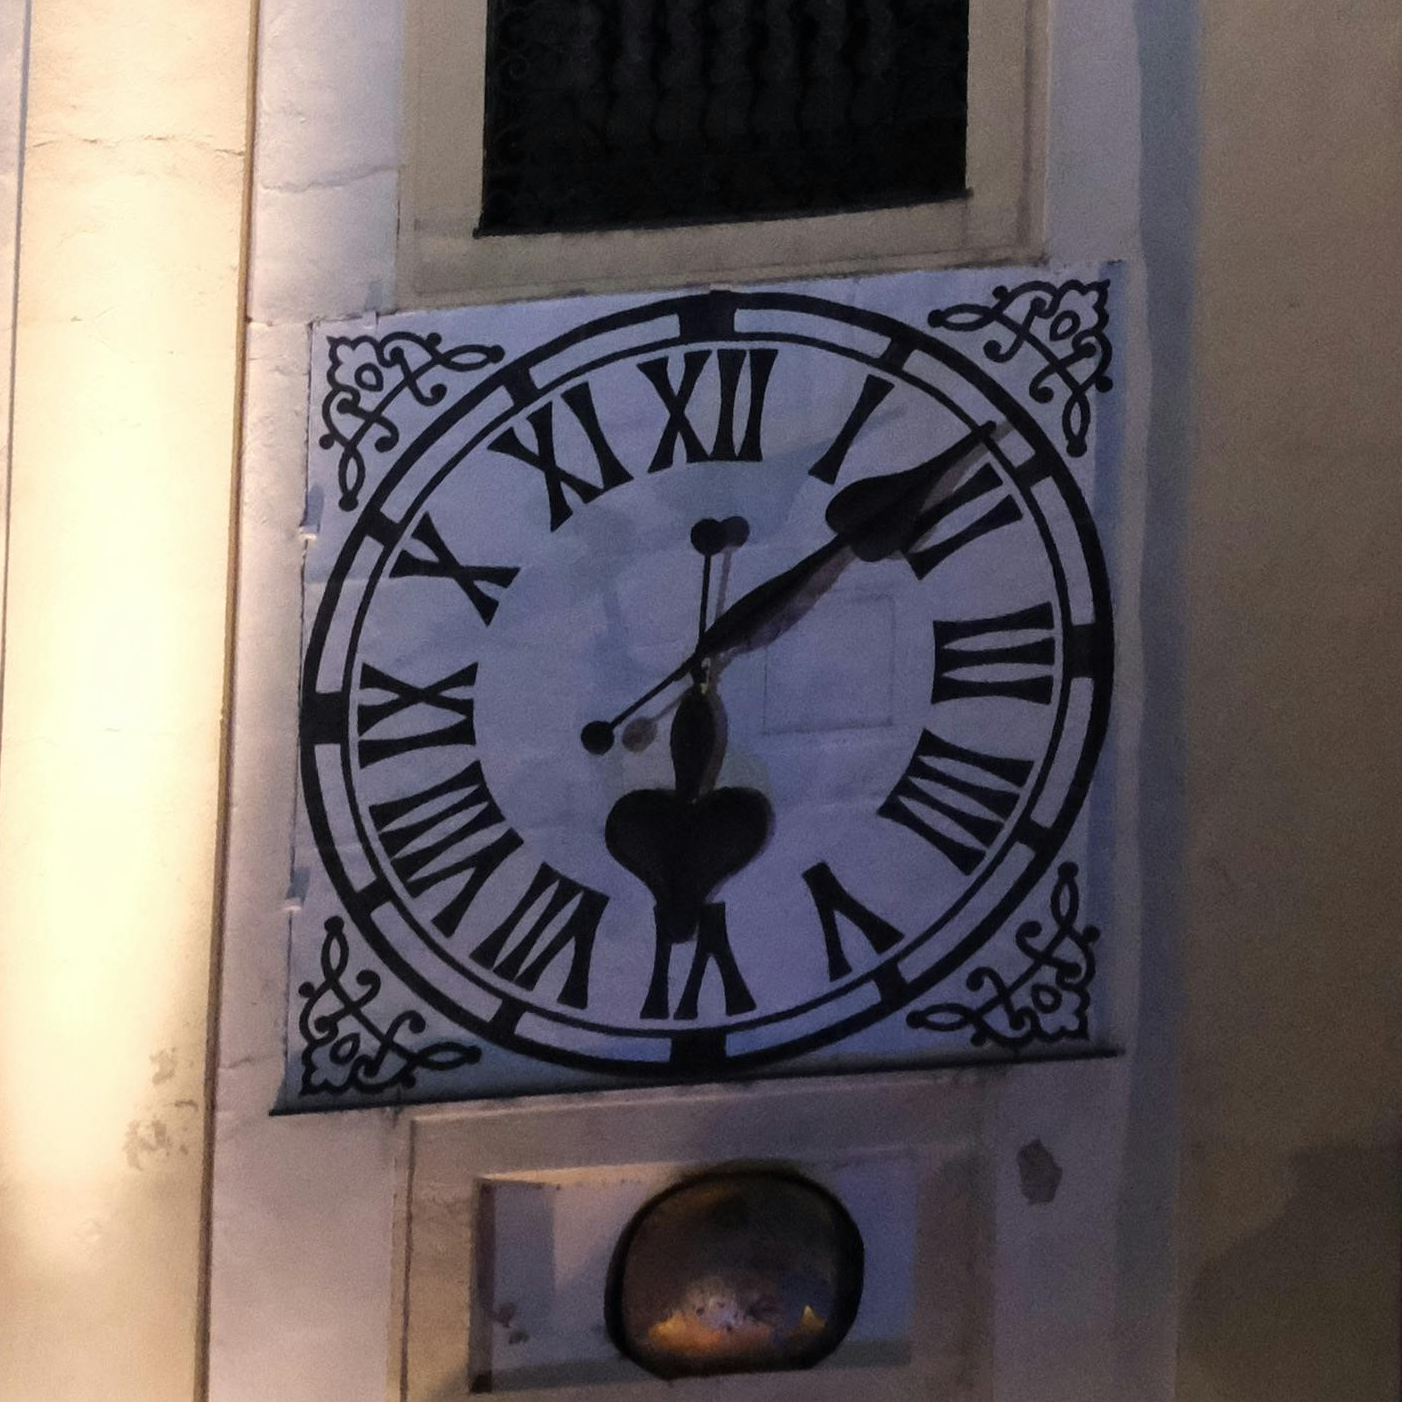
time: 6:08
